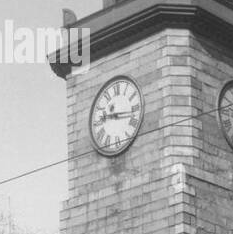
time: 9:16
